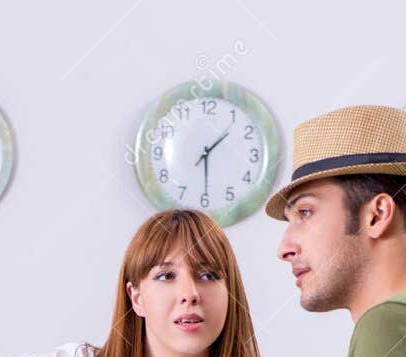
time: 1:29
